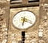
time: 6:18
